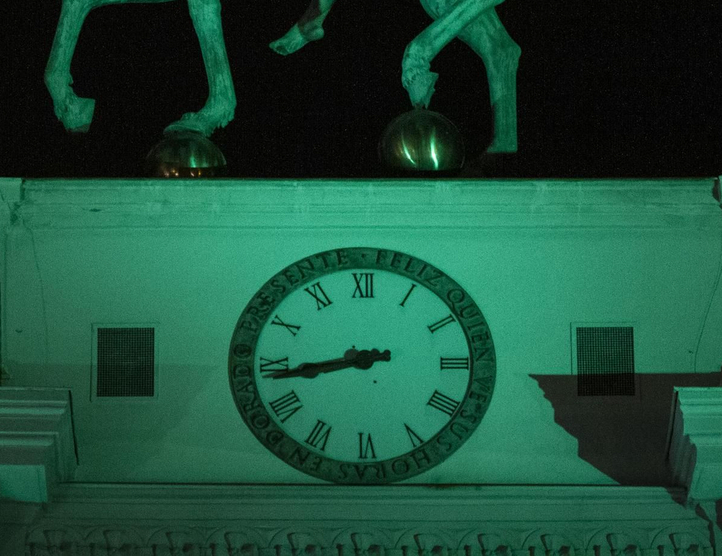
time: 8:43
